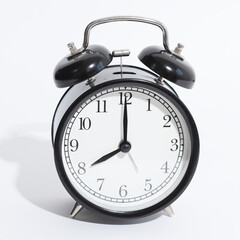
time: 8:00
